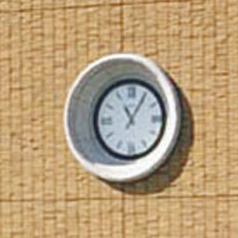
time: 11:05
